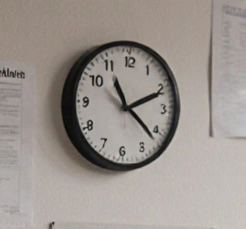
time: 2:21
